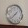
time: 1:38
